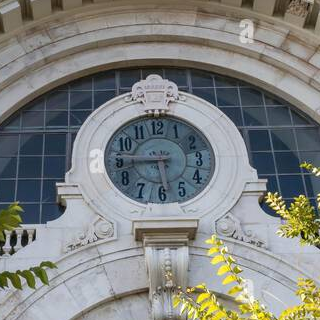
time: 5:44
